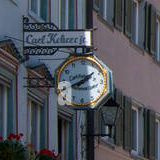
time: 7:40
